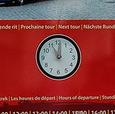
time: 11:01
